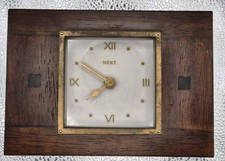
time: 7:50
